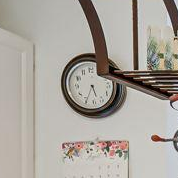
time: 5:34
